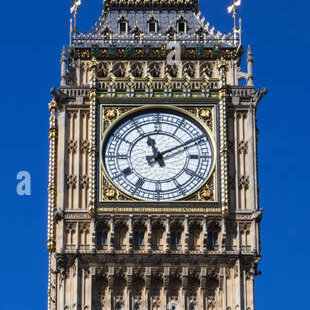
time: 11:10
